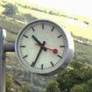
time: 10:34
